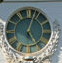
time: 5:03
